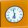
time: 6:58
